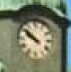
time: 9:50
